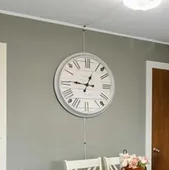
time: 12:46
